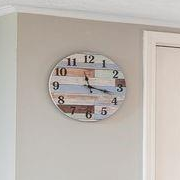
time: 11:17
